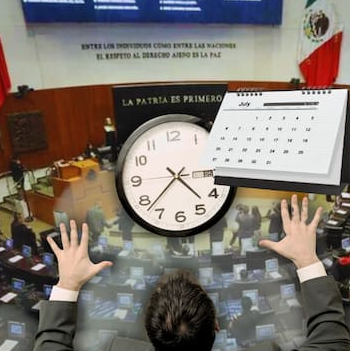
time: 4:37
